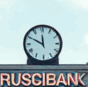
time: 11:49
